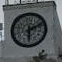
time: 6:10
